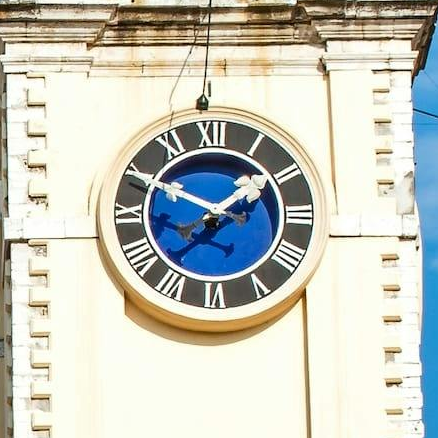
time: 1:50
